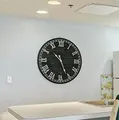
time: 10:26
